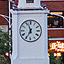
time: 6:56
